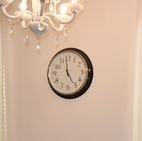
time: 4:59
